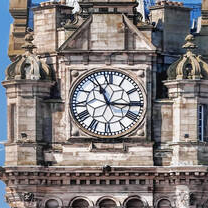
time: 11:15
